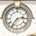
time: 2:36
